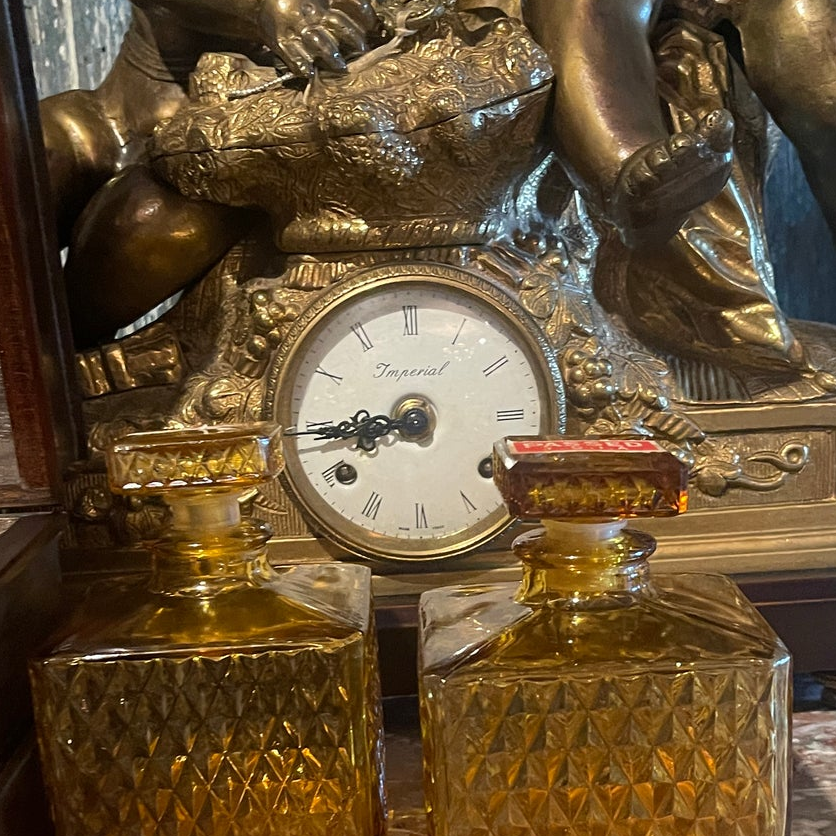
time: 8:44
